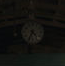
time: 4:34
